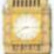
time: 8:14
